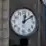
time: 12:09
